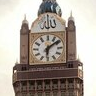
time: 6:08
